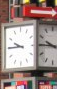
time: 9:45
